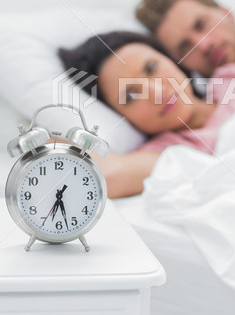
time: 6:27
